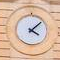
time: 4:07
